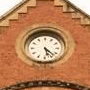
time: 5:22
